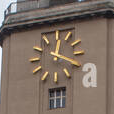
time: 12:18
